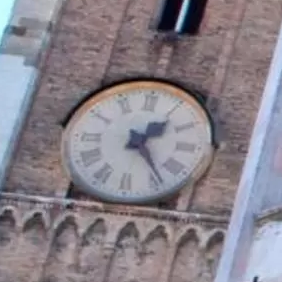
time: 1:23
